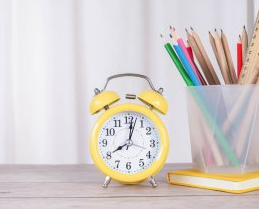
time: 8:01
